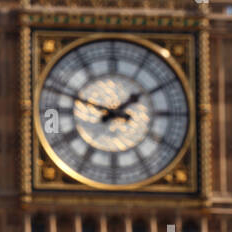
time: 1:48
